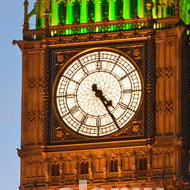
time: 4:24
